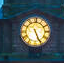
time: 5:26
